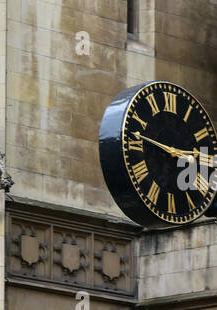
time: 2:47
